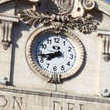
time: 7:43
